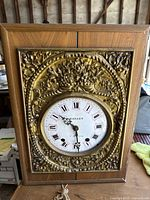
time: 10:28
